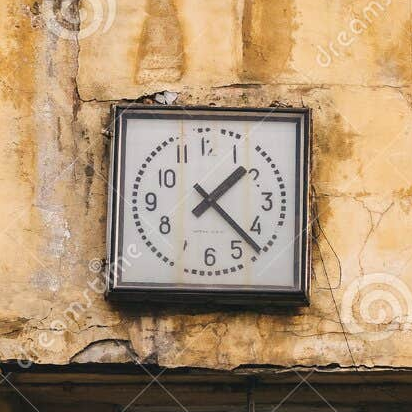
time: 1:22
